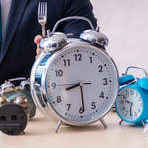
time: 8:29
